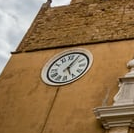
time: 5:05
